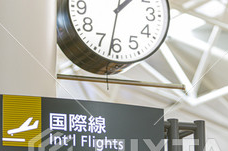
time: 1:31
